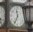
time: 11:35
